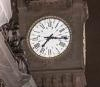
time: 7:15
